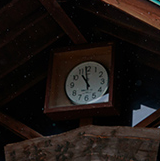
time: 10:59
